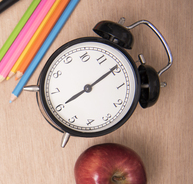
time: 8:09
